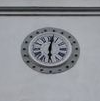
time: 6:01
